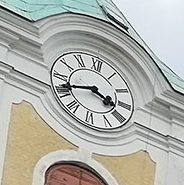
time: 3:41
